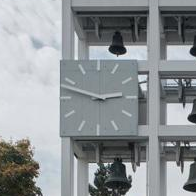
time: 2:48
